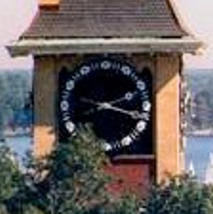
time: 2:18
